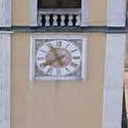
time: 7:55
